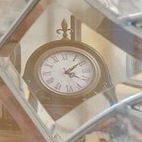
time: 4:08
